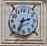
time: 2:34
